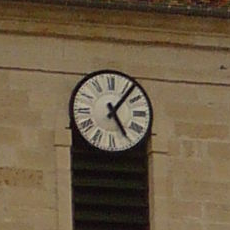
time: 5:06
